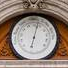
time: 6:02
